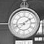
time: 1:42
